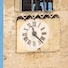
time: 11:22
